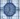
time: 11:35
